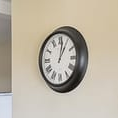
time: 1:01
